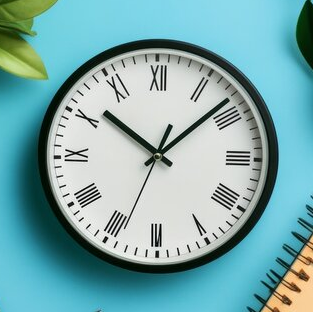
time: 10:08
